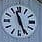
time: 11:26
